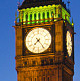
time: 7:24
